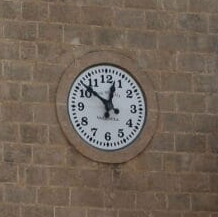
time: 12:51
